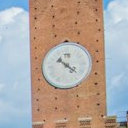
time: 4:21
